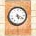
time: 5:19
